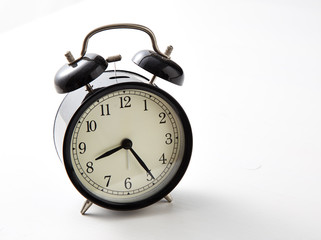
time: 8:24
